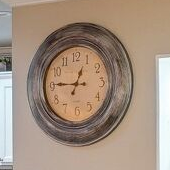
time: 12:45
